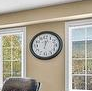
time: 12:02
